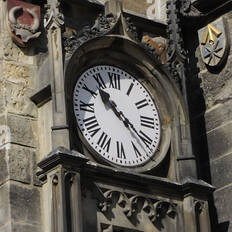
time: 10:20
